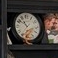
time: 10:50
